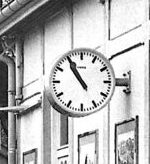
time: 10:55
